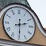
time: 2:29
